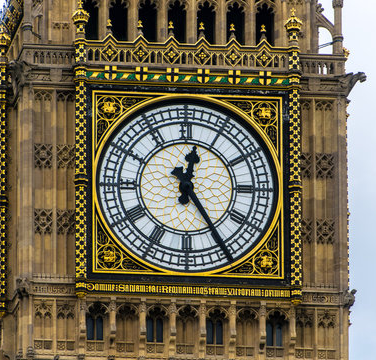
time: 12:24
